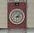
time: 3:06
